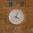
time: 4:02
